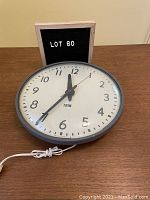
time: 11:35
